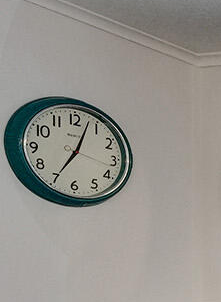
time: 7:03
